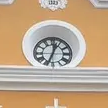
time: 12:33
